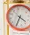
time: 4:35
